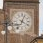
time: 4:03
